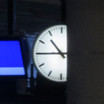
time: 10:45
